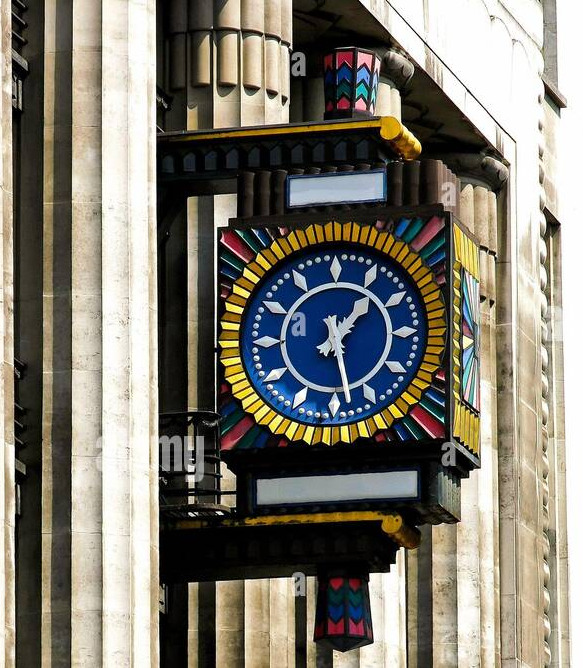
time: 1:28
